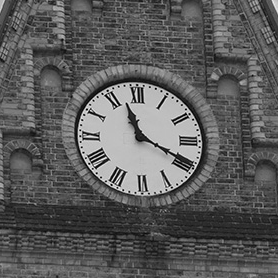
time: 11:19
